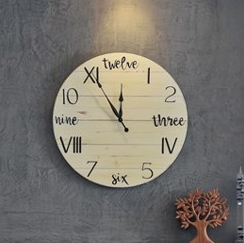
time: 11:54
